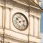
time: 10:12
